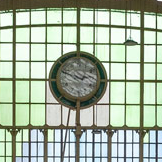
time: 2:48
